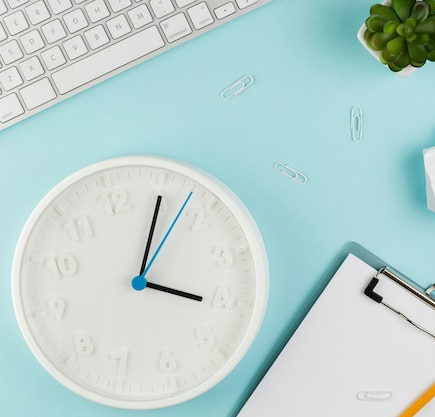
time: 4:05
